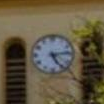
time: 5:13
